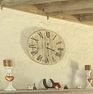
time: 3:29
